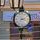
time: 2:18
